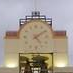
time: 4:09
